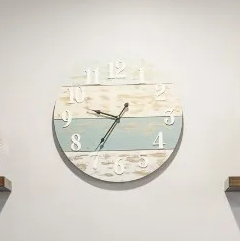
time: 9:35
